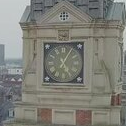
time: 5:05
